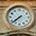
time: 7:37
